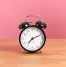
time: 7:11
